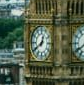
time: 12:39
